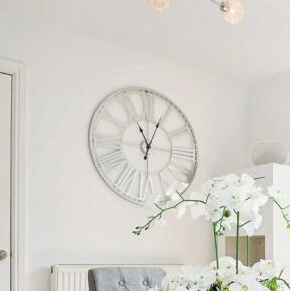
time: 11:04
